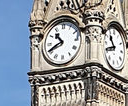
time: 10:41
